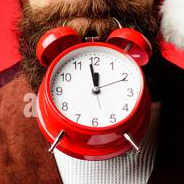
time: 11:58
